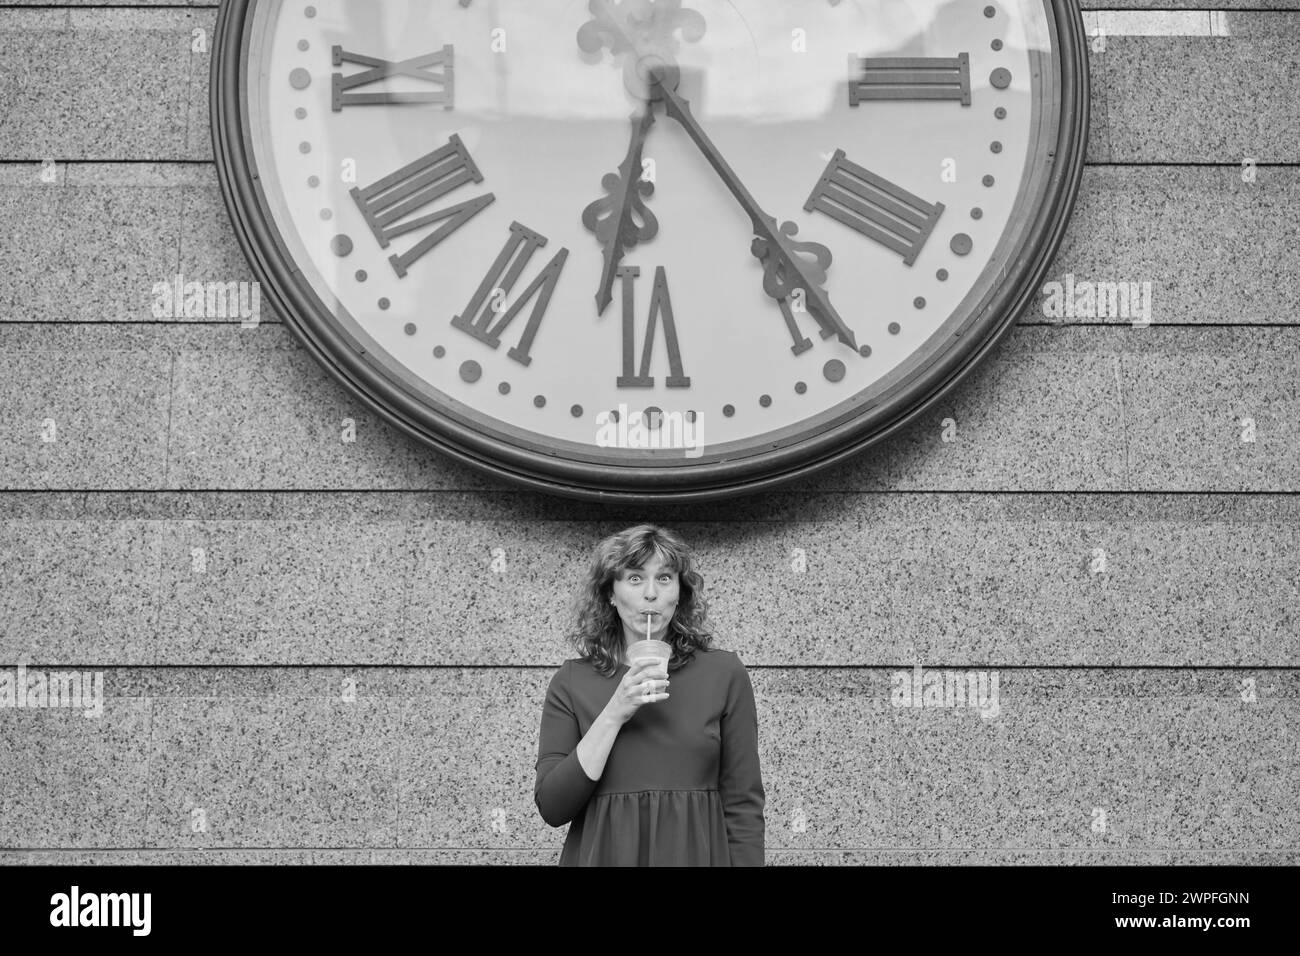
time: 6:24
